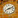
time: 8:11
